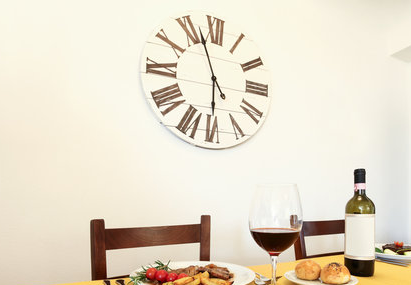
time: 5:56
